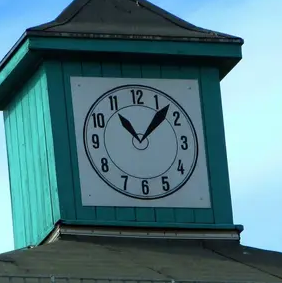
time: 11:07
